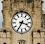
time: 3:34
